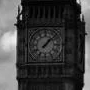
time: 1:07
